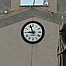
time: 8:56
